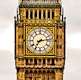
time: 7:13
